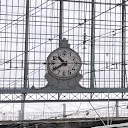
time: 10:39
